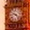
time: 9:22
